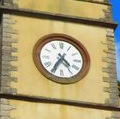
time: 4:35
